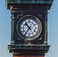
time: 10:36
